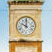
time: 10:00
